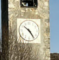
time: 10:24
